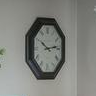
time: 10:13
